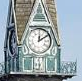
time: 12:09
